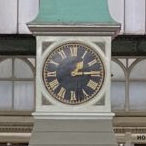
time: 1:14
